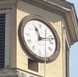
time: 11:12
